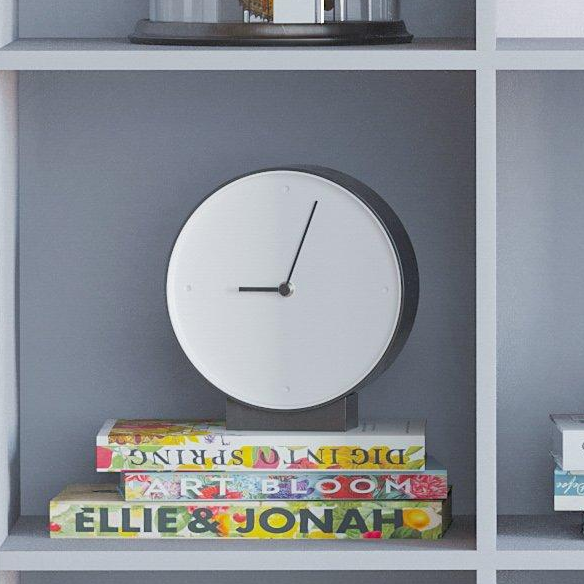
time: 9:03
